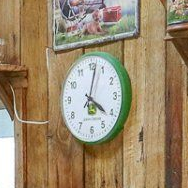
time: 4:02
